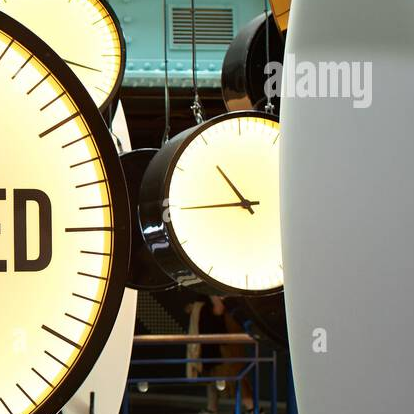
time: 10:44
